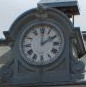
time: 2:00
